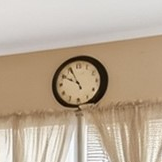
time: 9:55
